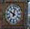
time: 10:02
